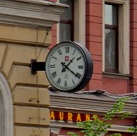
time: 1:20
